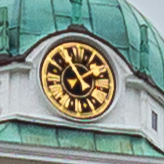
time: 1:54
